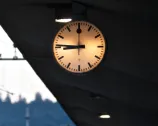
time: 8:45
